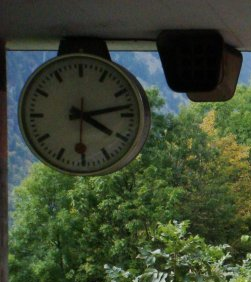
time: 4:13
